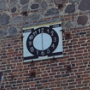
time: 6:00
